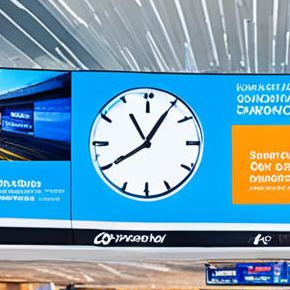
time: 8:05
